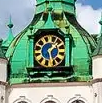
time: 1:28
